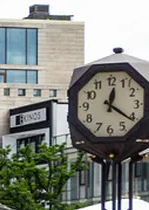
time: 12:20
